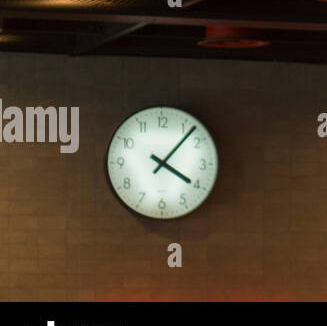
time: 4:07
